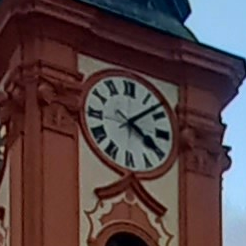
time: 4:07
